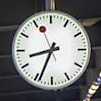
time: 8:34
